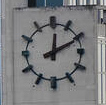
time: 12:10
